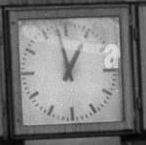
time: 12:58
